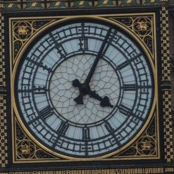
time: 4:04
